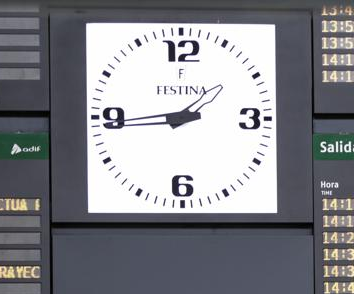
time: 1:43
